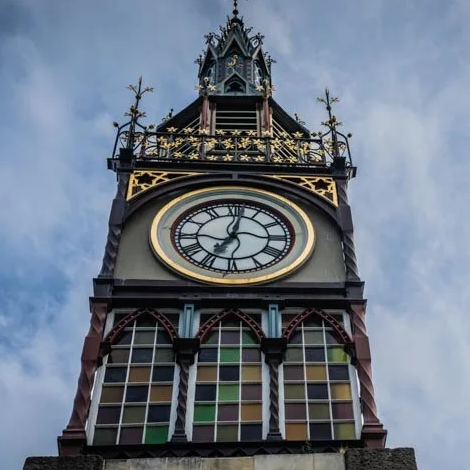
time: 7:01
